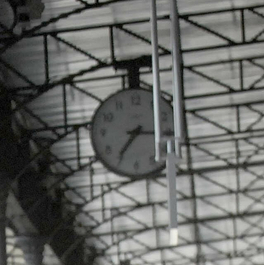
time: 7:15
